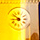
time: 8:51
